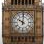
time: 10:00
